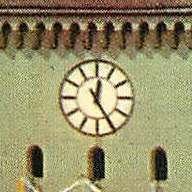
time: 12:24
